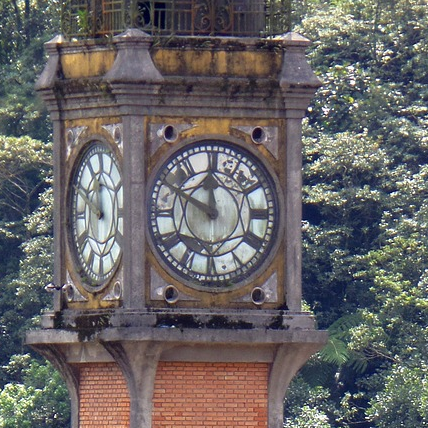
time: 11:49
